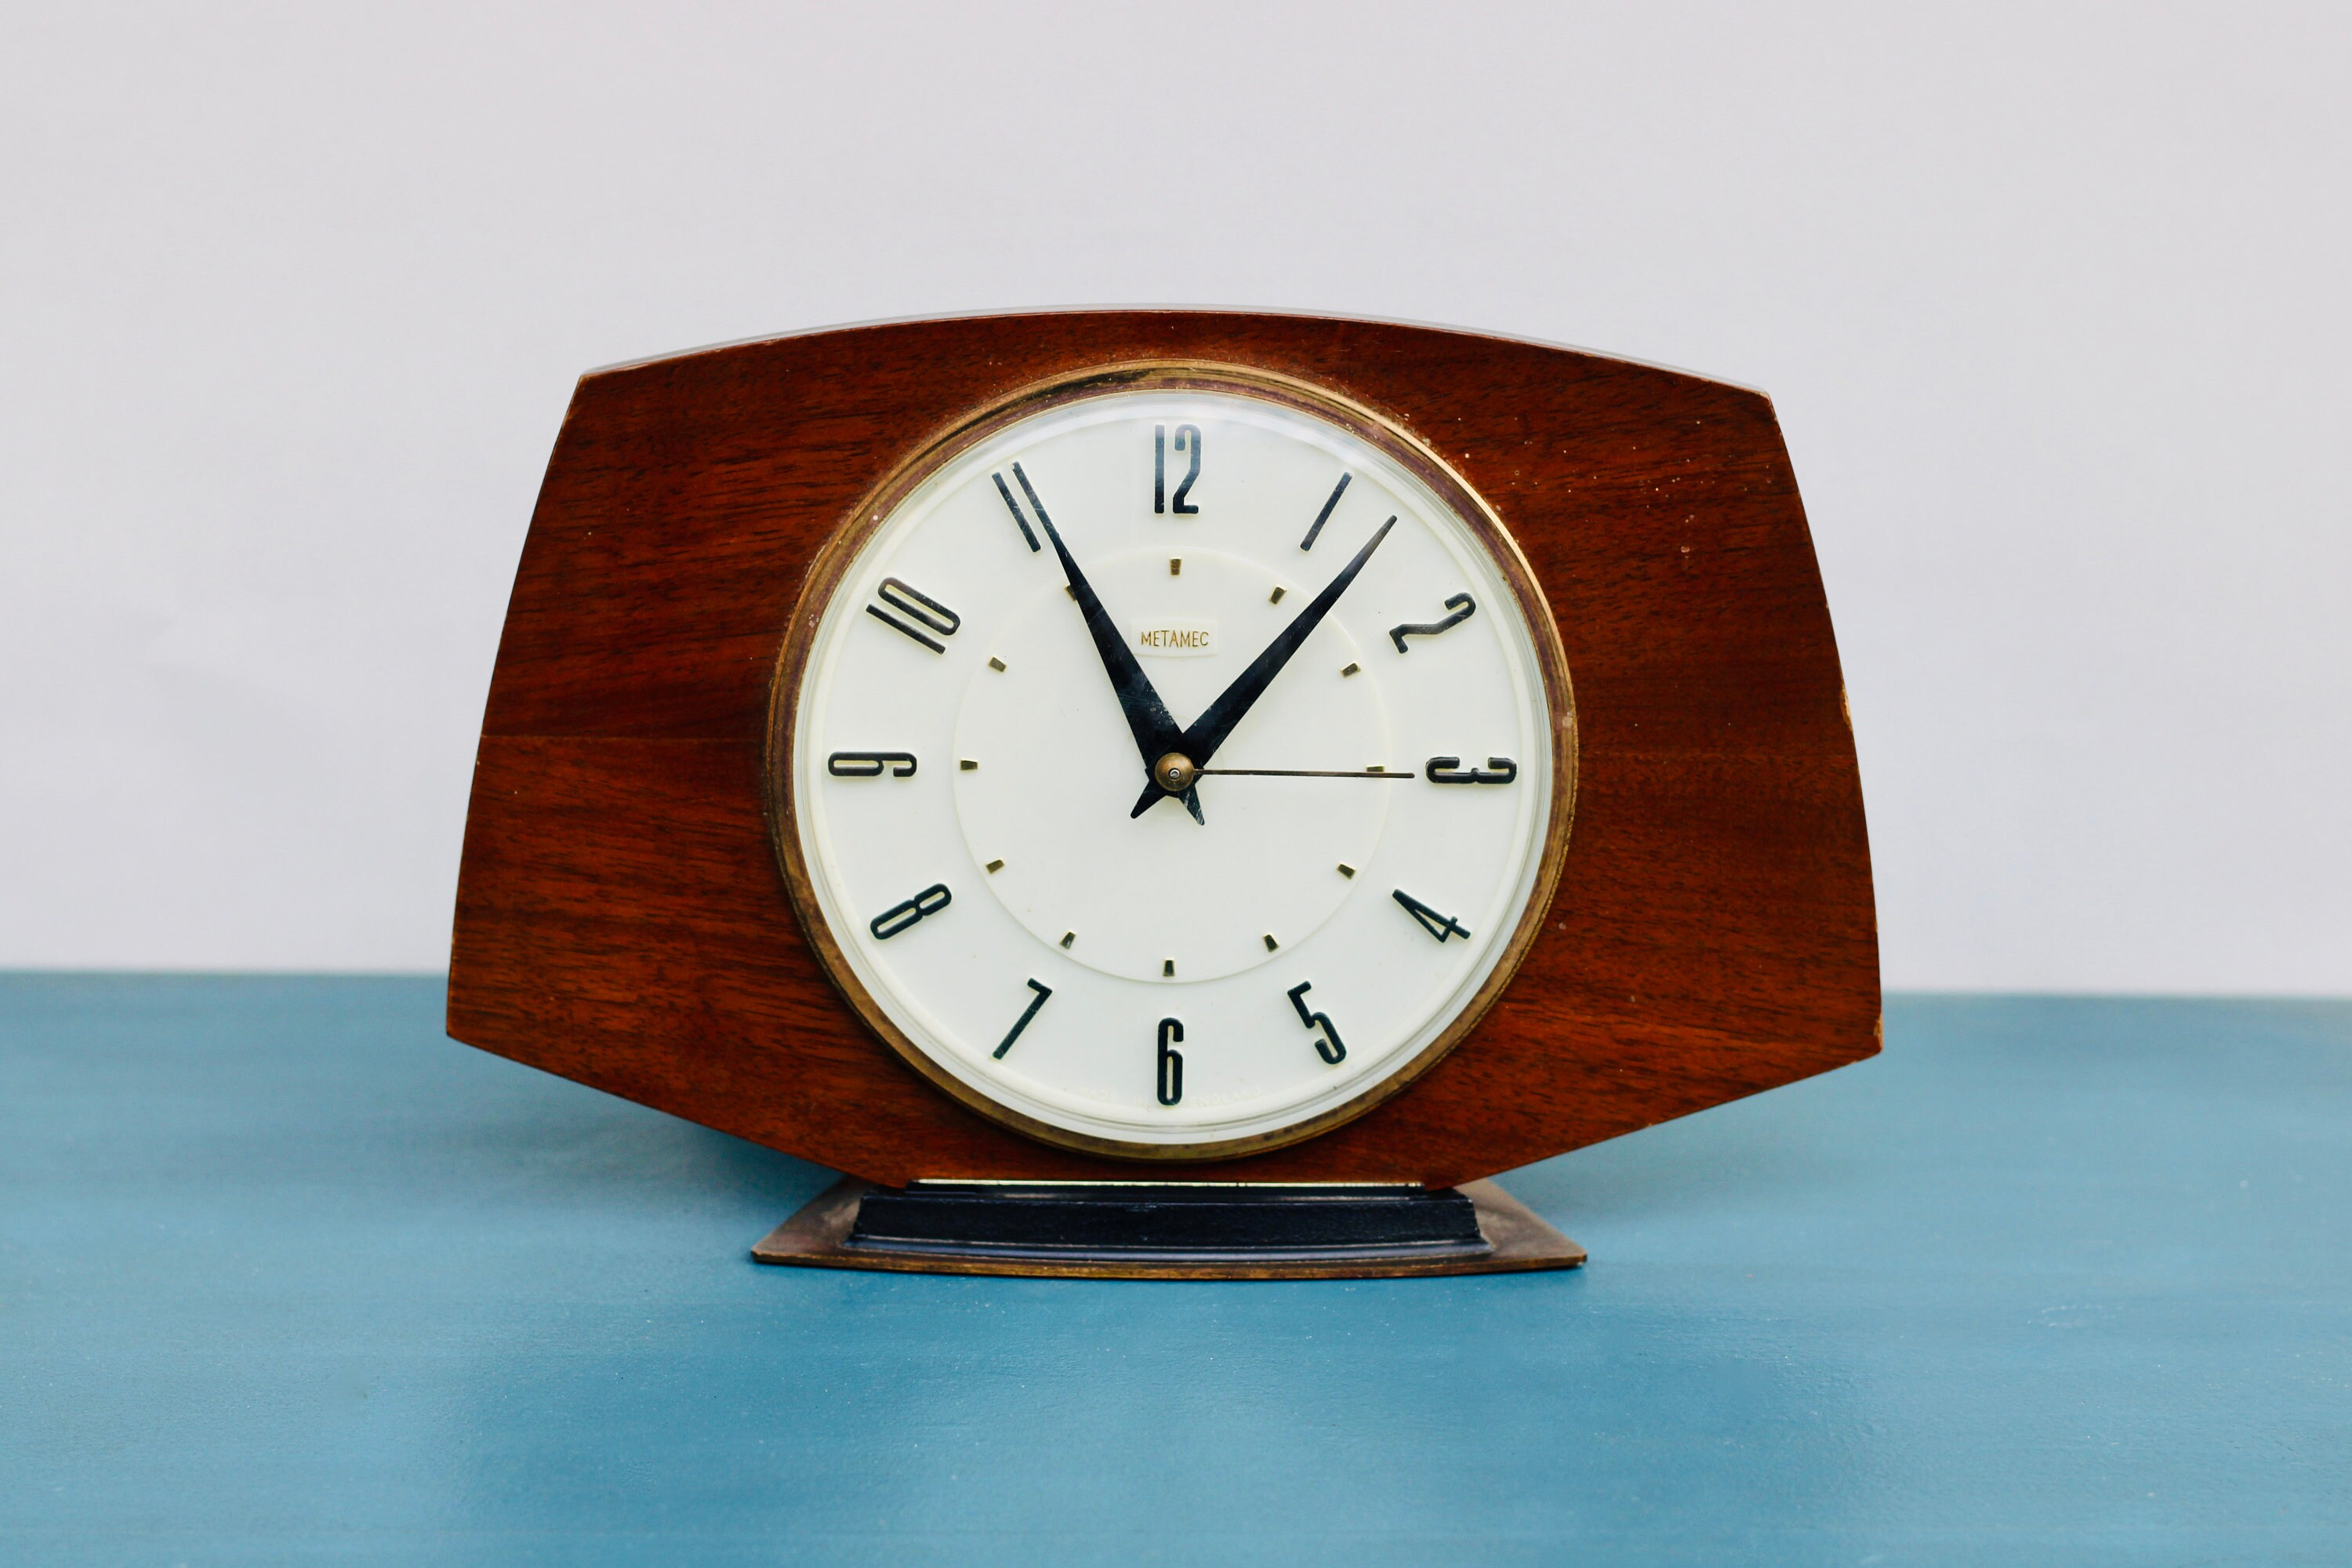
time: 11:06
